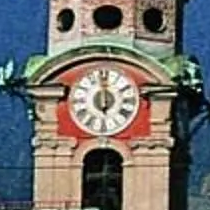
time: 5:59
